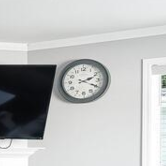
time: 2:19
